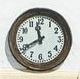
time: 11:40
